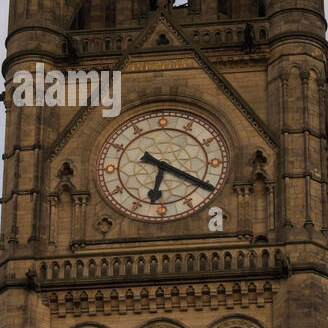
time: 6:20
